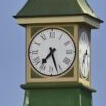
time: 7:27
